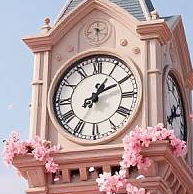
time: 1:10
